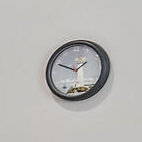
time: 1:49
